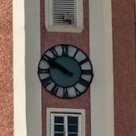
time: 9:50
